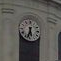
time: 5:33
